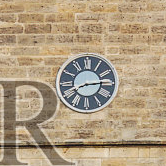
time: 8:14
